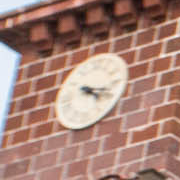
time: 4:17
